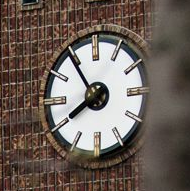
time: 7:53
